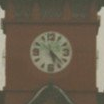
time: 5:22
